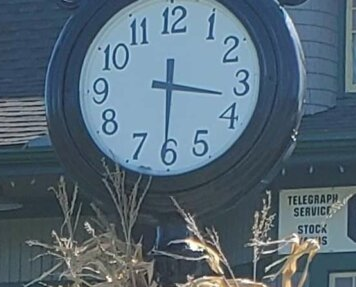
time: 3:30
